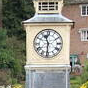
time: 11:31
